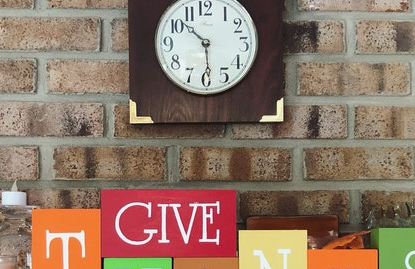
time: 10:29
